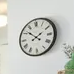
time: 1:51
